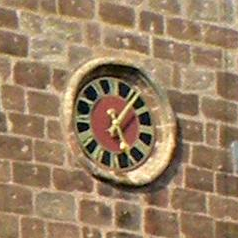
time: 5:06
